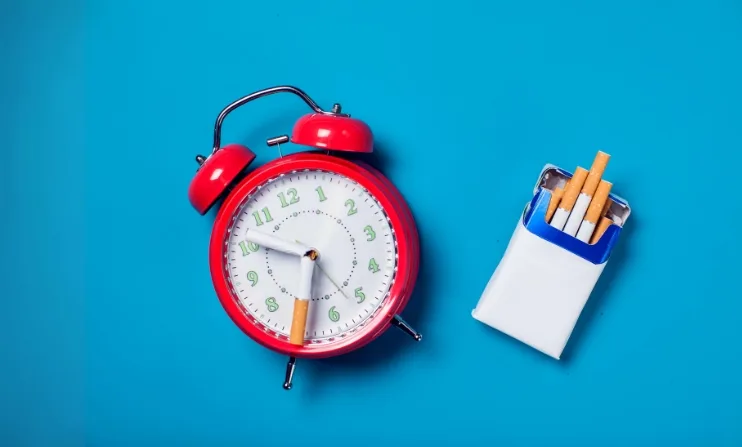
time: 6:50
